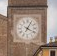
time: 4:04
